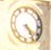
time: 4:23
